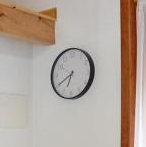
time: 6:39
